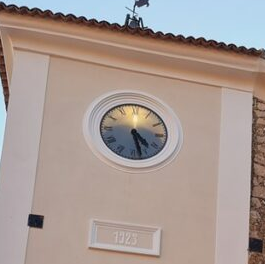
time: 4:27
